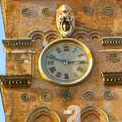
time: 2:48
